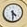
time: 4:29
